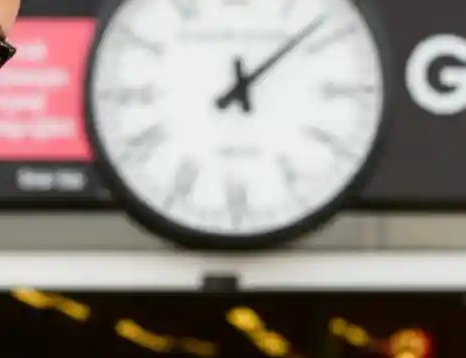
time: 12:07
